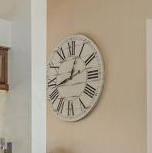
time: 12:42
